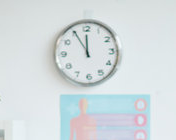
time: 11:55
